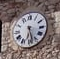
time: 6:27
